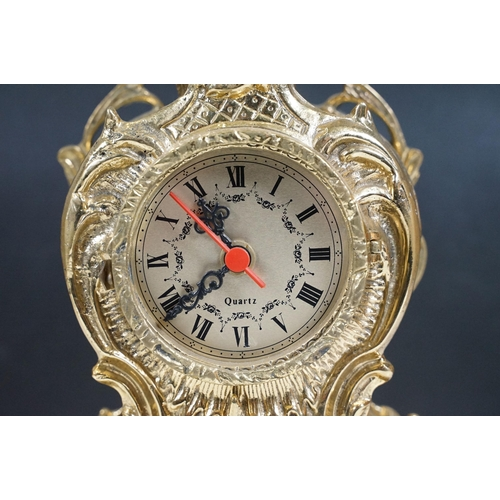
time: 10:38
